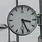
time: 3:26
